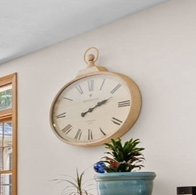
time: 2:11
